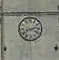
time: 8:12
